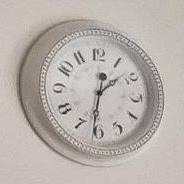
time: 1:31
